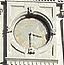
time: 3:29
